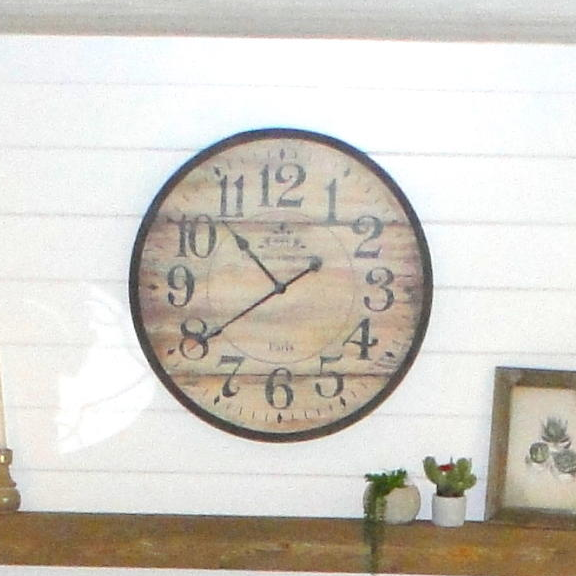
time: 10:39
